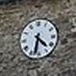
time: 4:32
